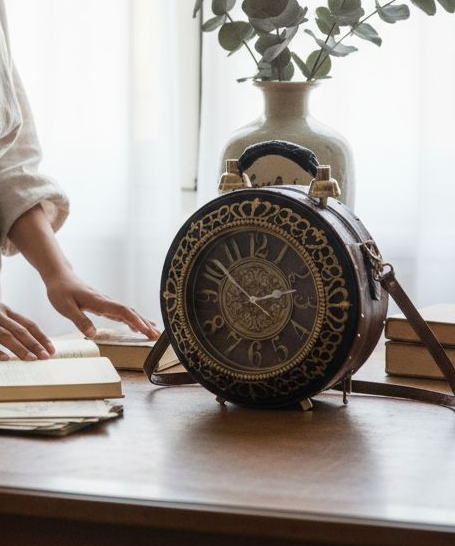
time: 2:52
